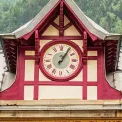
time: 1:05
